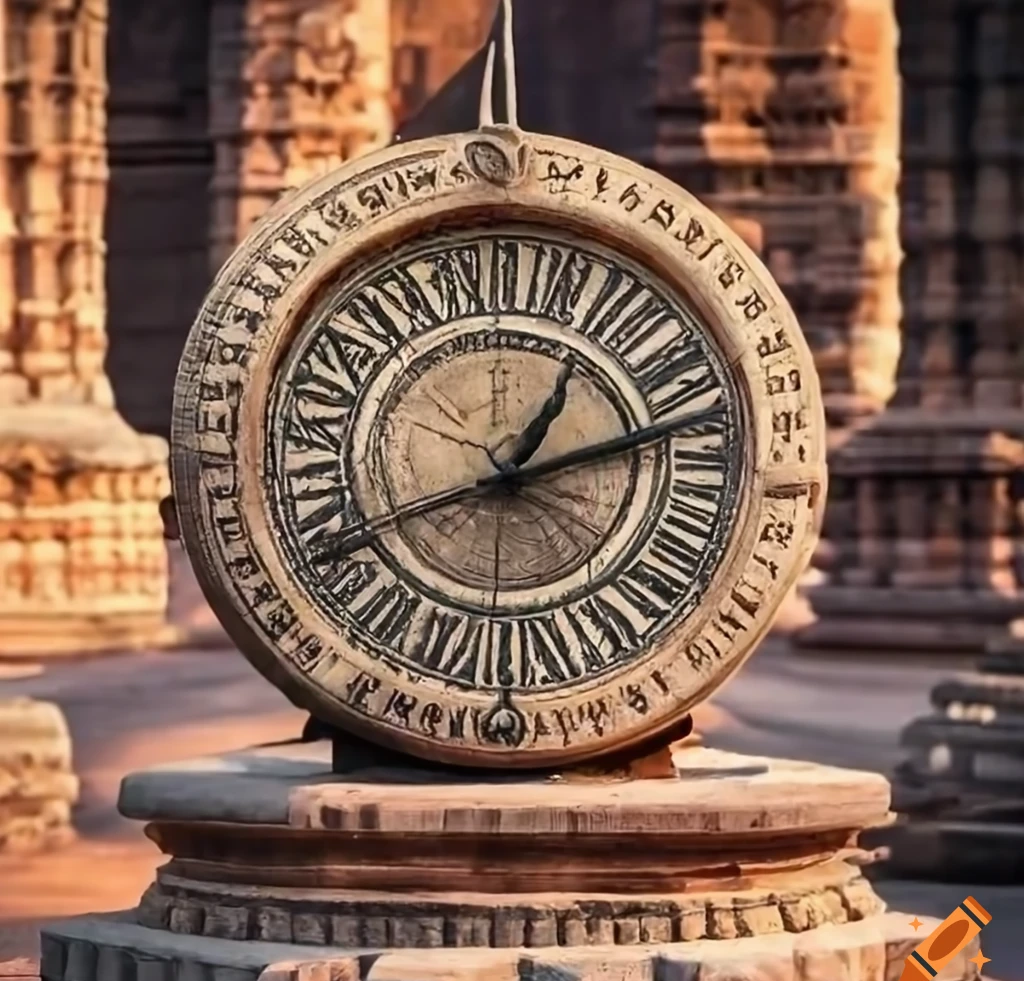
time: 1:11
